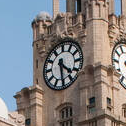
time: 4:29
